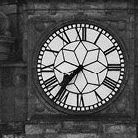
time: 7:36
